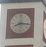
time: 8:15
